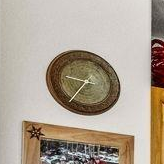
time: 9:36
